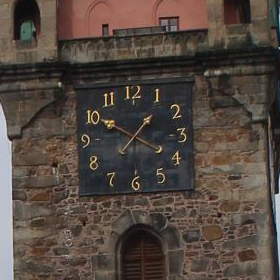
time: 1:20
